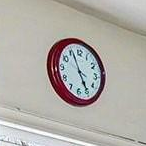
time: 4:56
